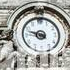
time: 9:48
